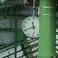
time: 11:41
